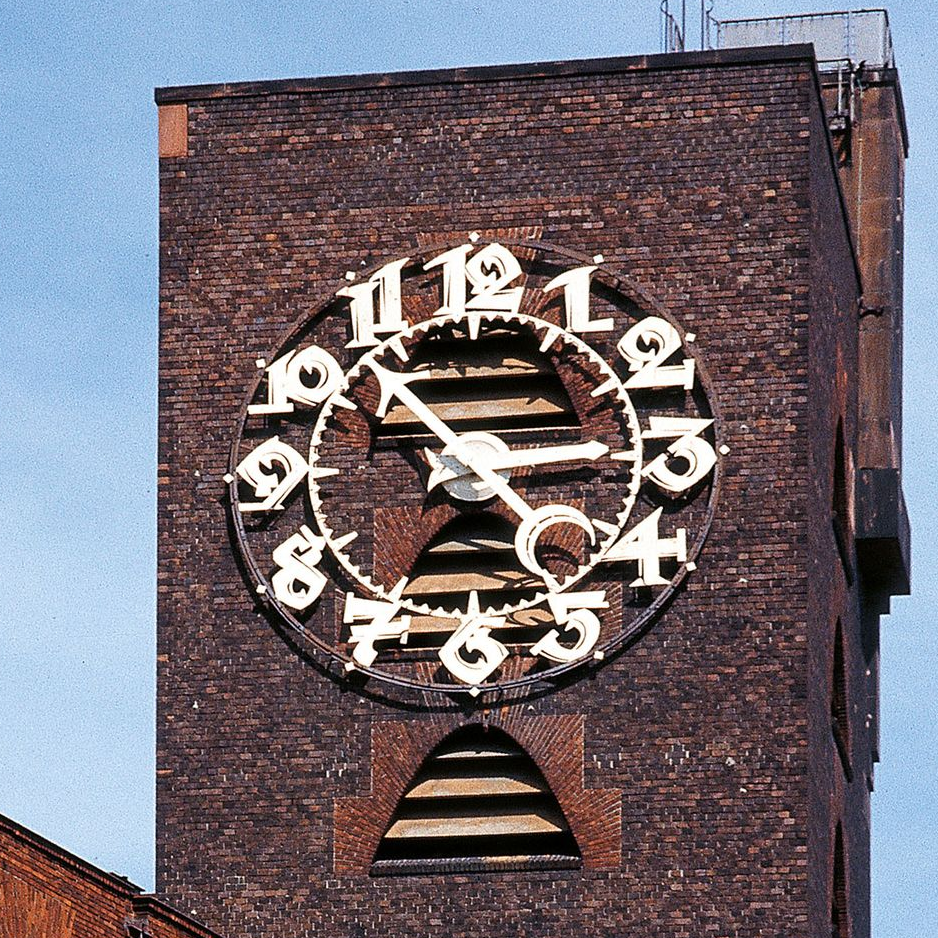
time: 2:53
